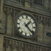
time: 1:22
